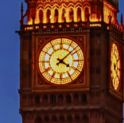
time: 4:07
